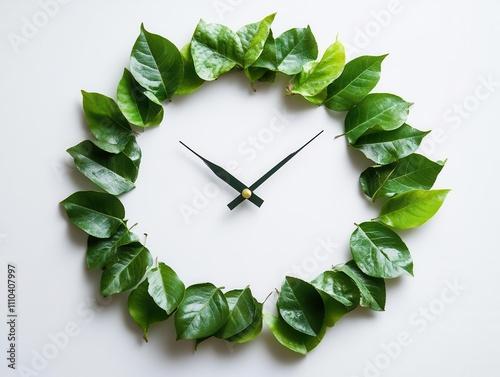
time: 10:07
